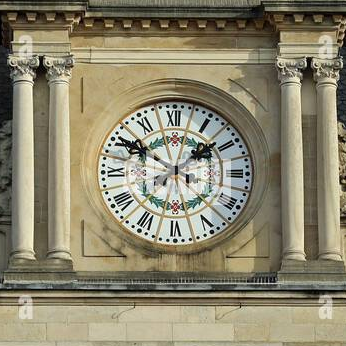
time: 1:50
